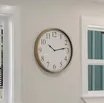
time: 10:13
